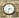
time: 2:32
